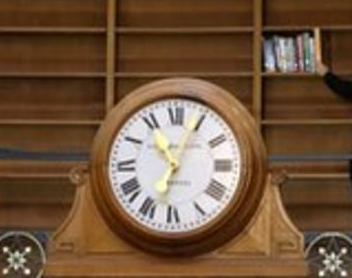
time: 11:04
